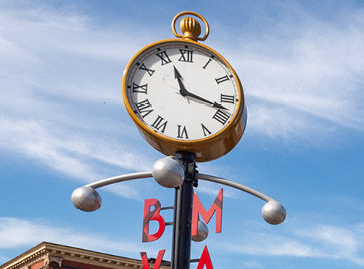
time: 11:17
